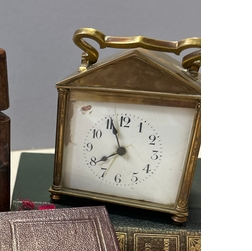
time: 7:56
